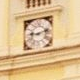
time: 9:12
